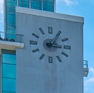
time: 3:05
